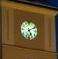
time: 5:11
